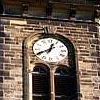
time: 12:40
